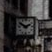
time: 1:50
